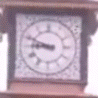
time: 8:48
